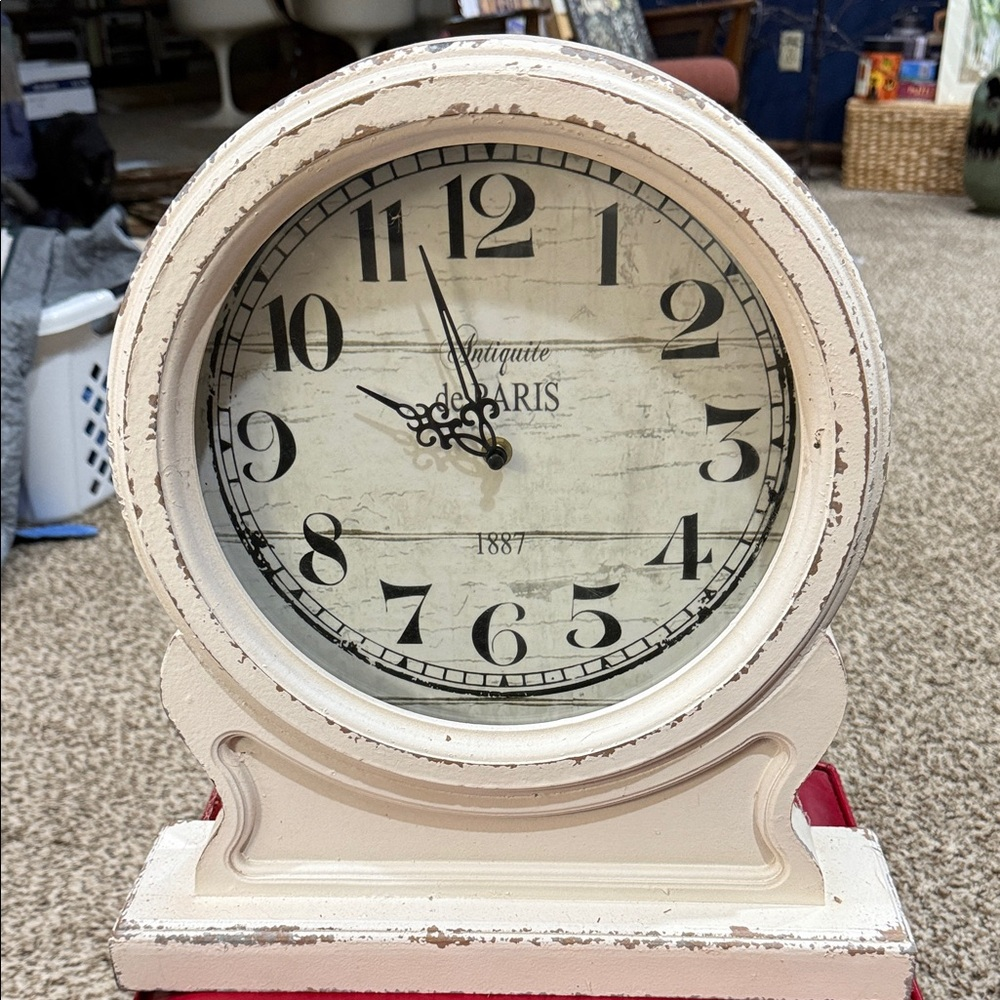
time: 9:56
